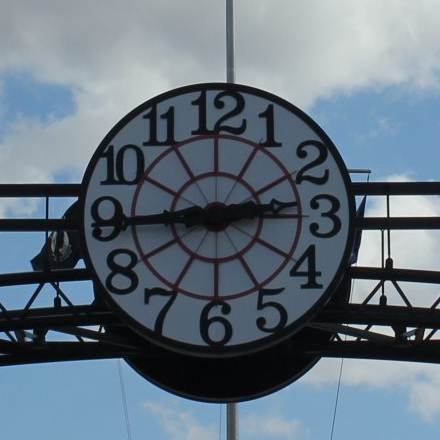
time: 2:44
